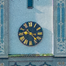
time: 9:22
